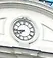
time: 7:43
